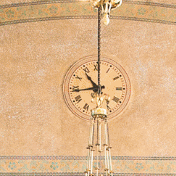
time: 10:43
